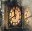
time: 11:41
